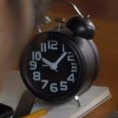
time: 10:07
